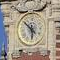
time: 5:51
